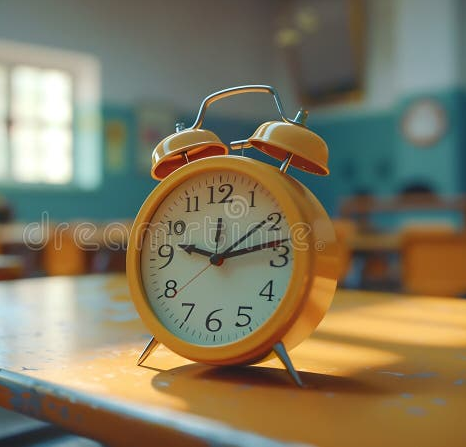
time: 9:13
